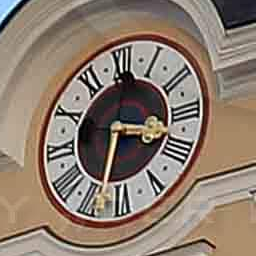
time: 3:32
